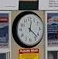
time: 12:22
